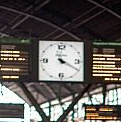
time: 4:20
